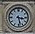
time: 3:28
